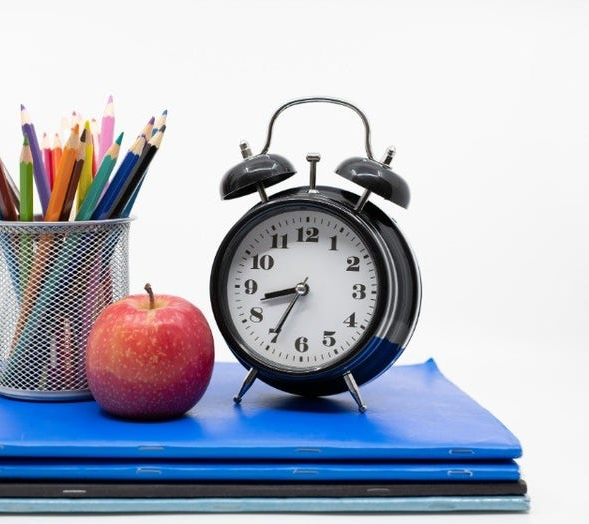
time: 8:34
